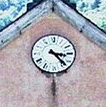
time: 3:23
